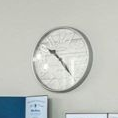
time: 10:23
